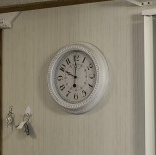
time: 9:59
